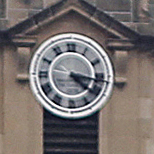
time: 4:16
